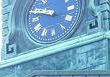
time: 9:48
